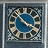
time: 3:52
